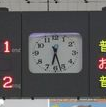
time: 6:27
